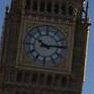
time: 10:14
